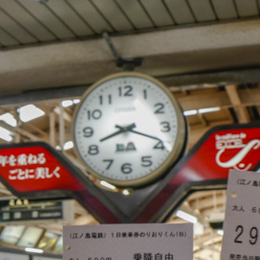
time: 8:18
